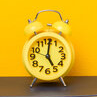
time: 5:01
